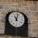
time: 11:02
